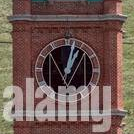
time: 1:02
